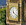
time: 11:21
